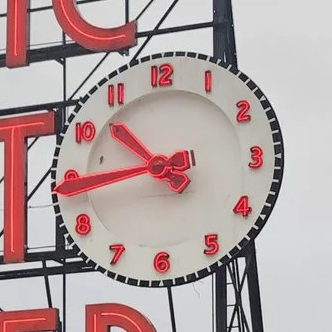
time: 10:43
